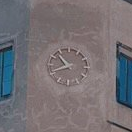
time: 10:41
